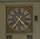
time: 4:35
